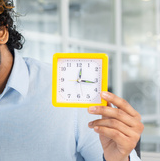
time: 12:16
